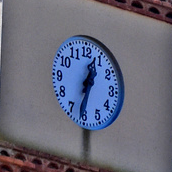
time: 12:32
